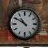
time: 10:50
